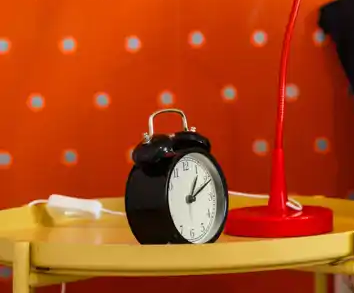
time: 1:10
